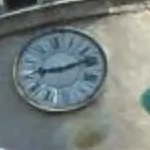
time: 9:12
